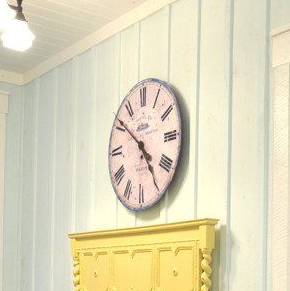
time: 4:51
